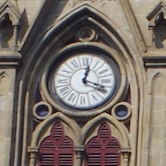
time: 12:18
